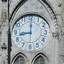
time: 9:00
